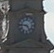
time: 4:45
